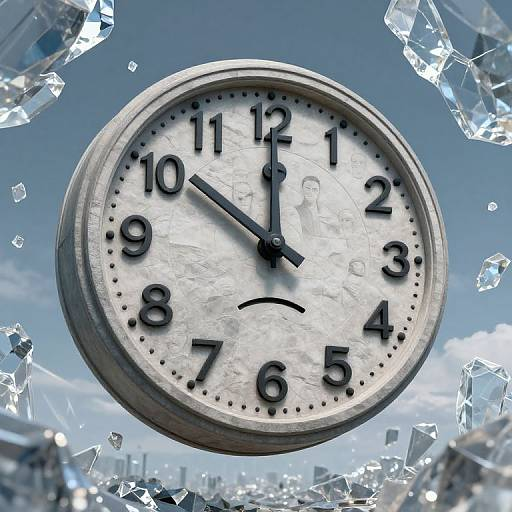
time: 10:00
